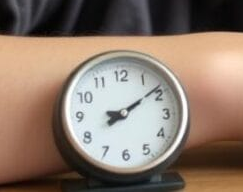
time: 8:08
